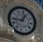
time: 12:44
